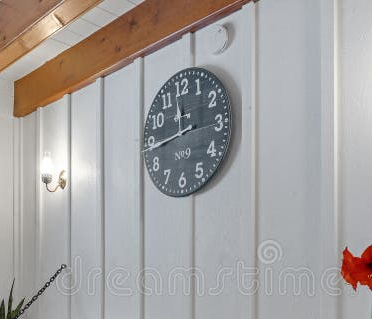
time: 11:43
